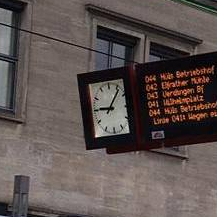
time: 9:07
